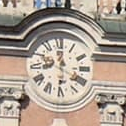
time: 12:19
